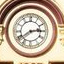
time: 2:40
